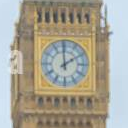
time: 1:59
